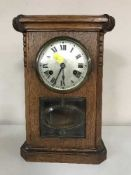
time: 5:34
